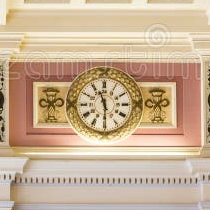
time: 11:29
